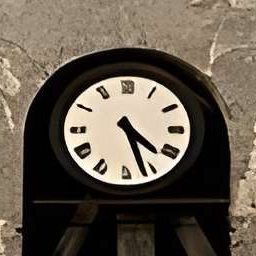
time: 4:26
